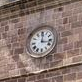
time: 12:16
